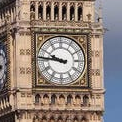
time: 9:46
